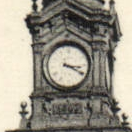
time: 3:19
